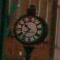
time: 10:36
